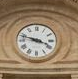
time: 3:47
